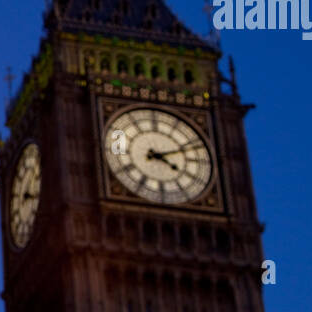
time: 4:11
